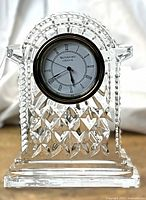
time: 5:38
